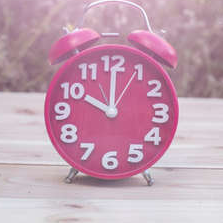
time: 10:00
